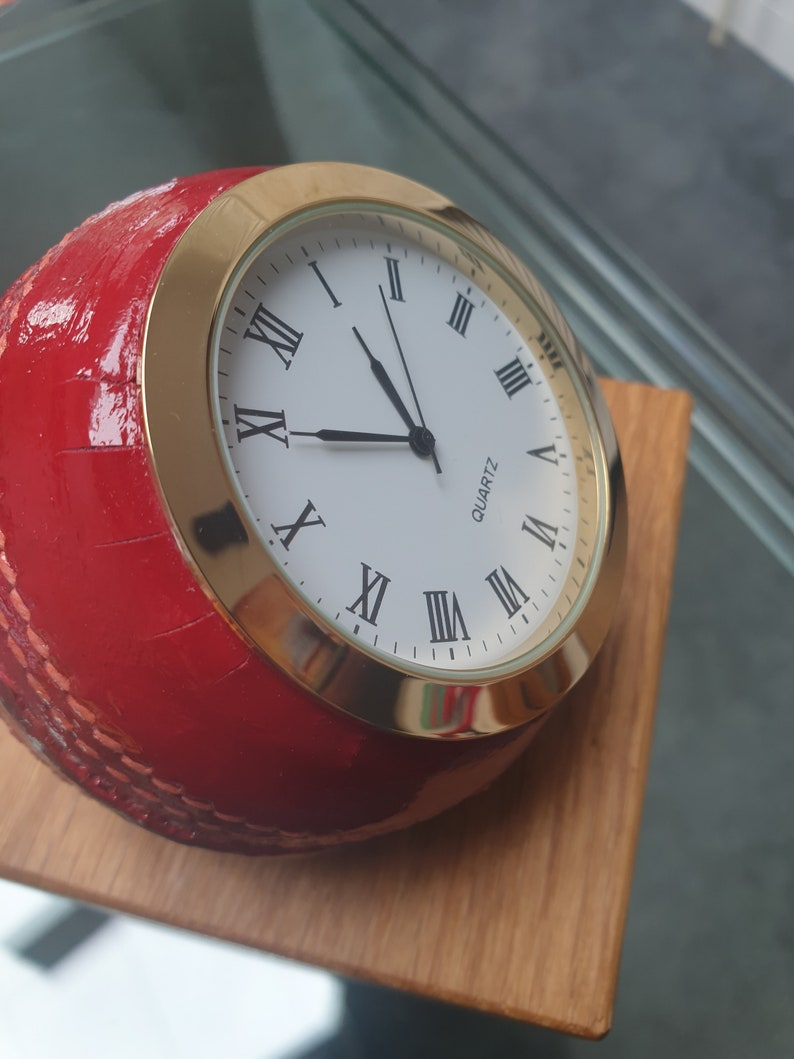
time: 10:44
